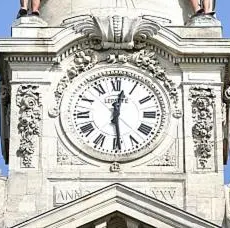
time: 12:28
